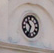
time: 10:33
